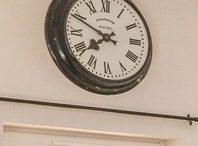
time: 7:49
